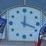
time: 12:18
